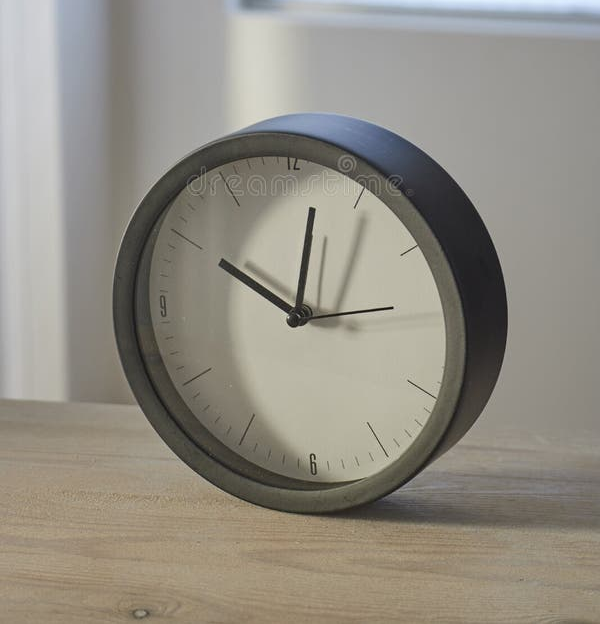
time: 10:01
